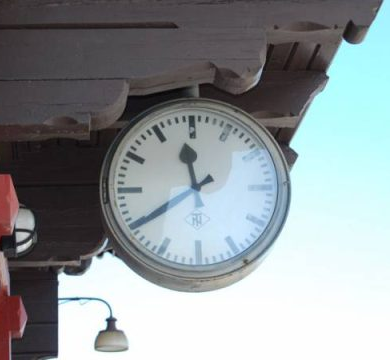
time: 11:39
